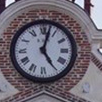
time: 5:02
